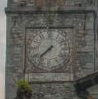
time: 7:37
